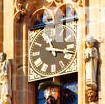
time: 11:17
